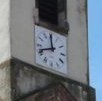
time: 11:41
